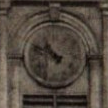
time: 10:48
